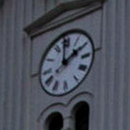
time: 1:59
